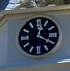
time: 12:20
